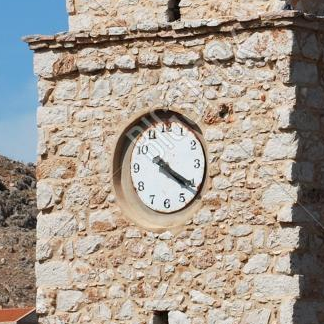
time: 4:20
